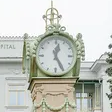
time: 12:25
